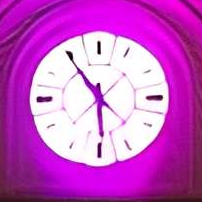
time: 5:54
